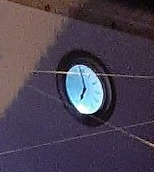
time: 6:58
